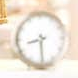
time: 8:29
